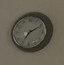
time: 7:10
